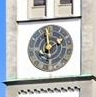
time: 1:59
